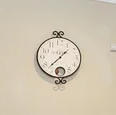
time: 1:37
